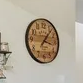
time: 3:06
